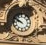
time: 9:50
